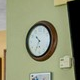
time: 10:34
